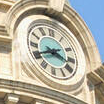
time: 3:40
